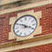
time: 3:48
